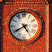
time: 4:40
